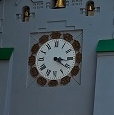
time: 3:21
